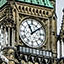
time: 11:08
